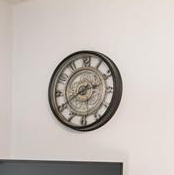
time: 2:40
